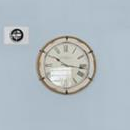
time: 10:16
